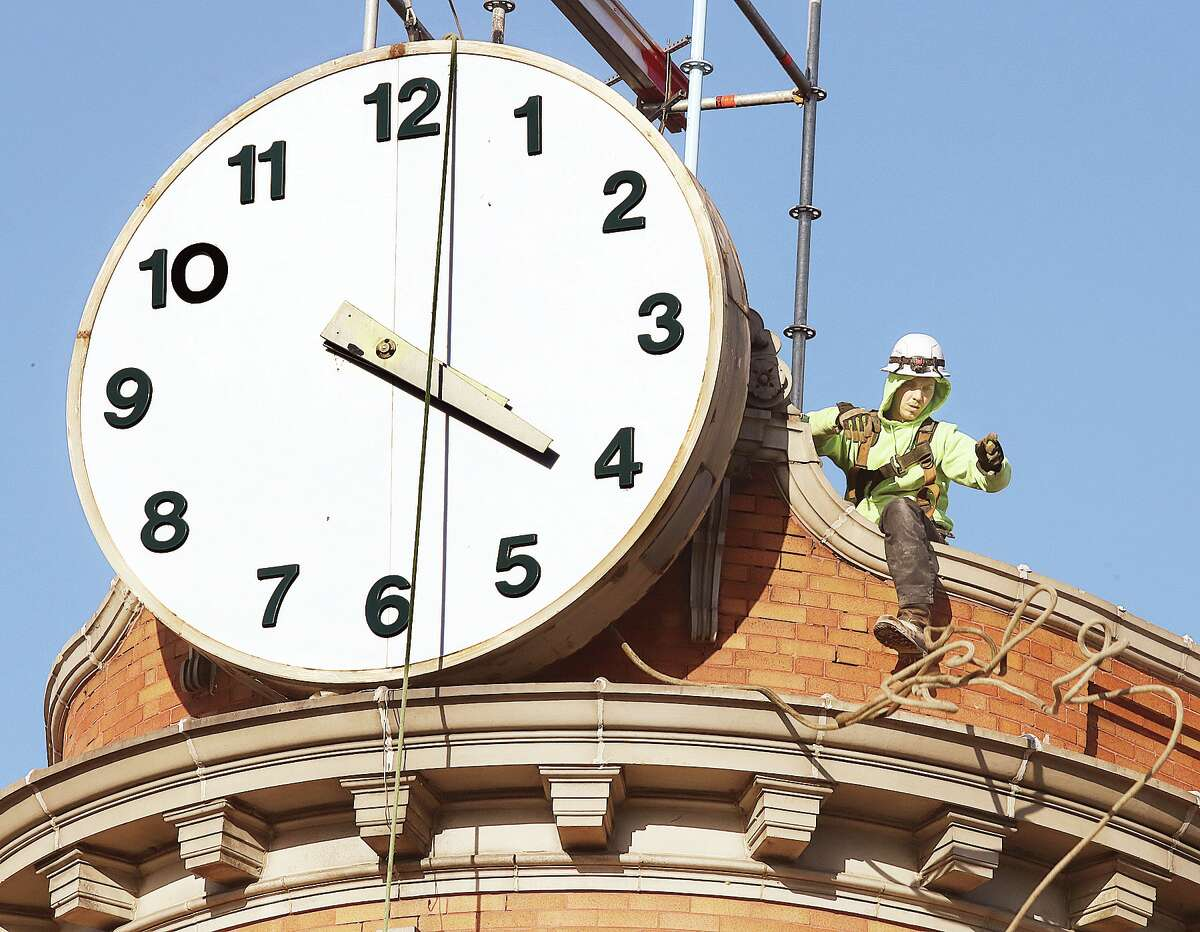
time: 4:02
